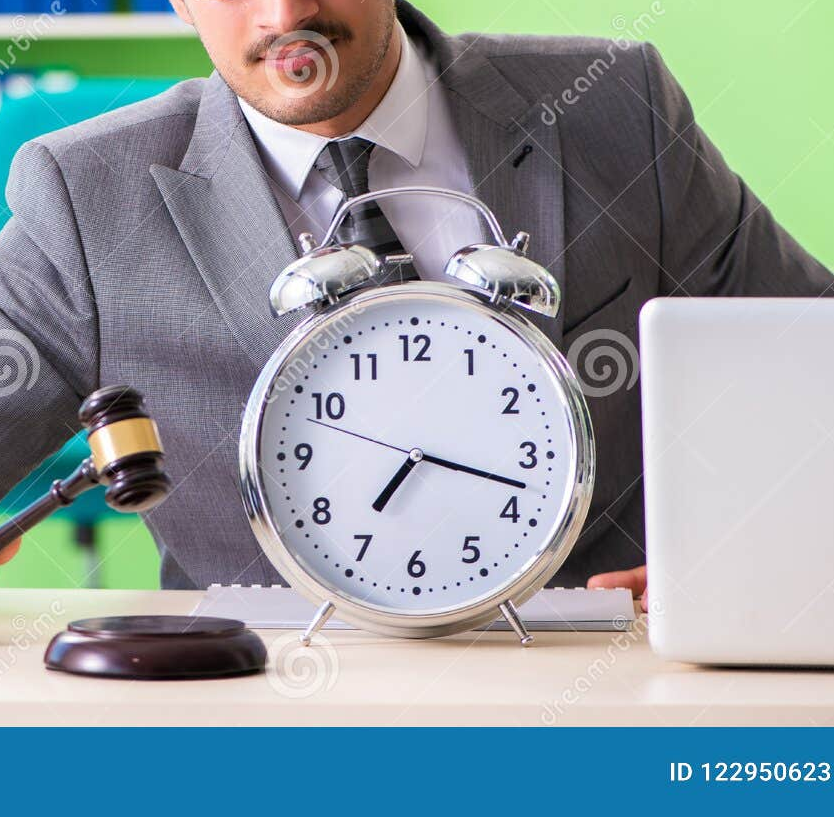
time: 7:17
